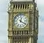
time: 12:20
